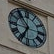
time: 6:54
